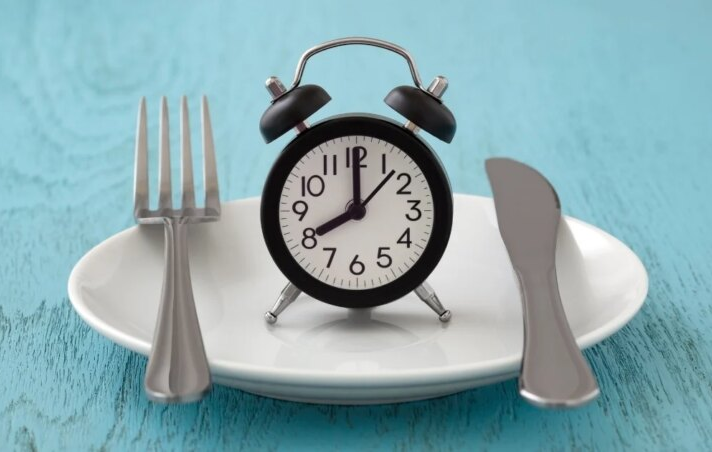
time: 8:00
